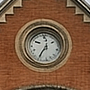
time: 12:35
